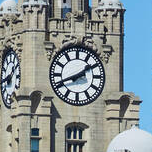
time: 1:41
